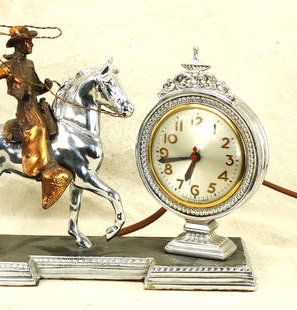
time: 6:43
